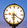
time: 6:20
